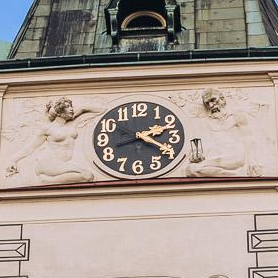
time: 2:19
